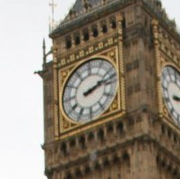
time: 2:13
